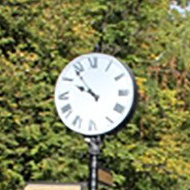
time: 9:53
